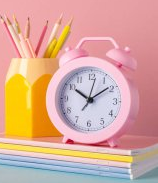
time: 10:08
